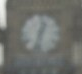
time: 12:32
